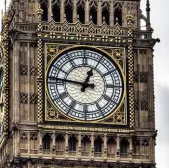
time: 12:46
